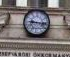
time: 9:16
